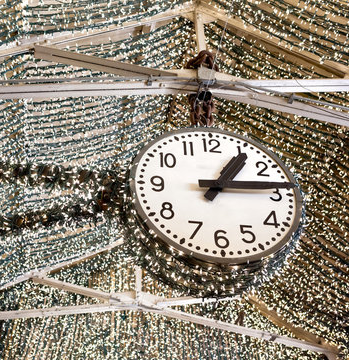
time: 1:13
